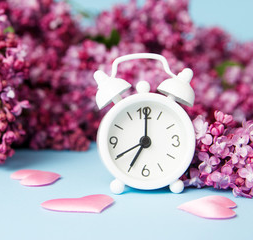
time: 7:00
